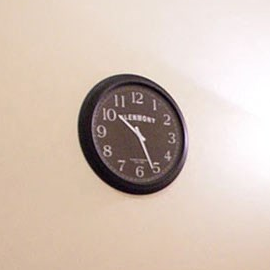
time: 10:26
